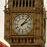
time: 2:06
